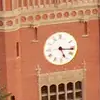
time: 5:16
